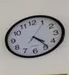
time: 4:23
